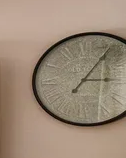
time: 3:05
